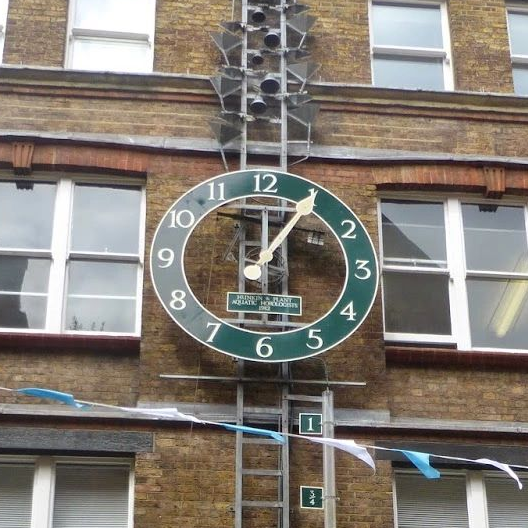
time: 12:05
